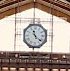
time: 11:21
